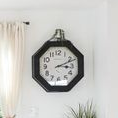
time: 3:11
